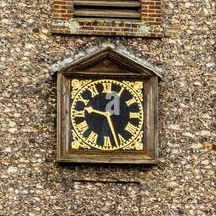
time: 9:27
